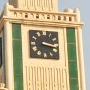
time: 3:17
